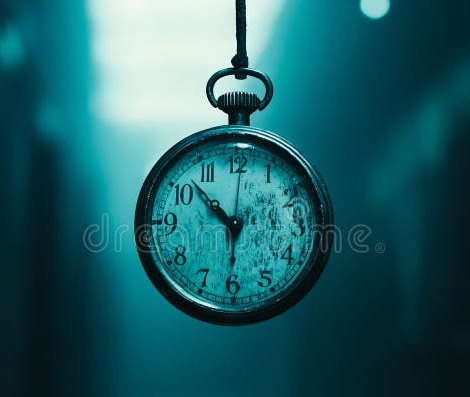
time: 10:31
